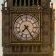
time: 7:24
